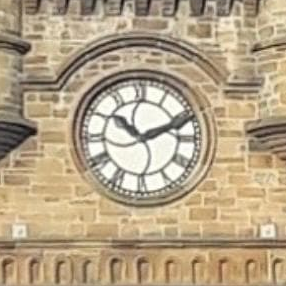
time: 10:11
